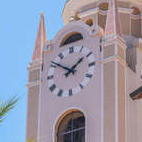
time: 1:51
